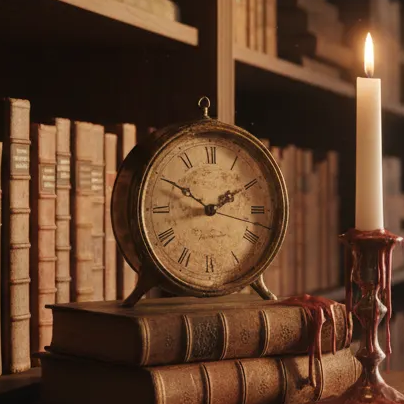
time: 1:50
